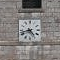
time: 4:42
